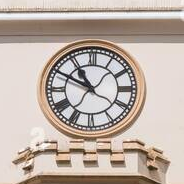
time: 10:49
